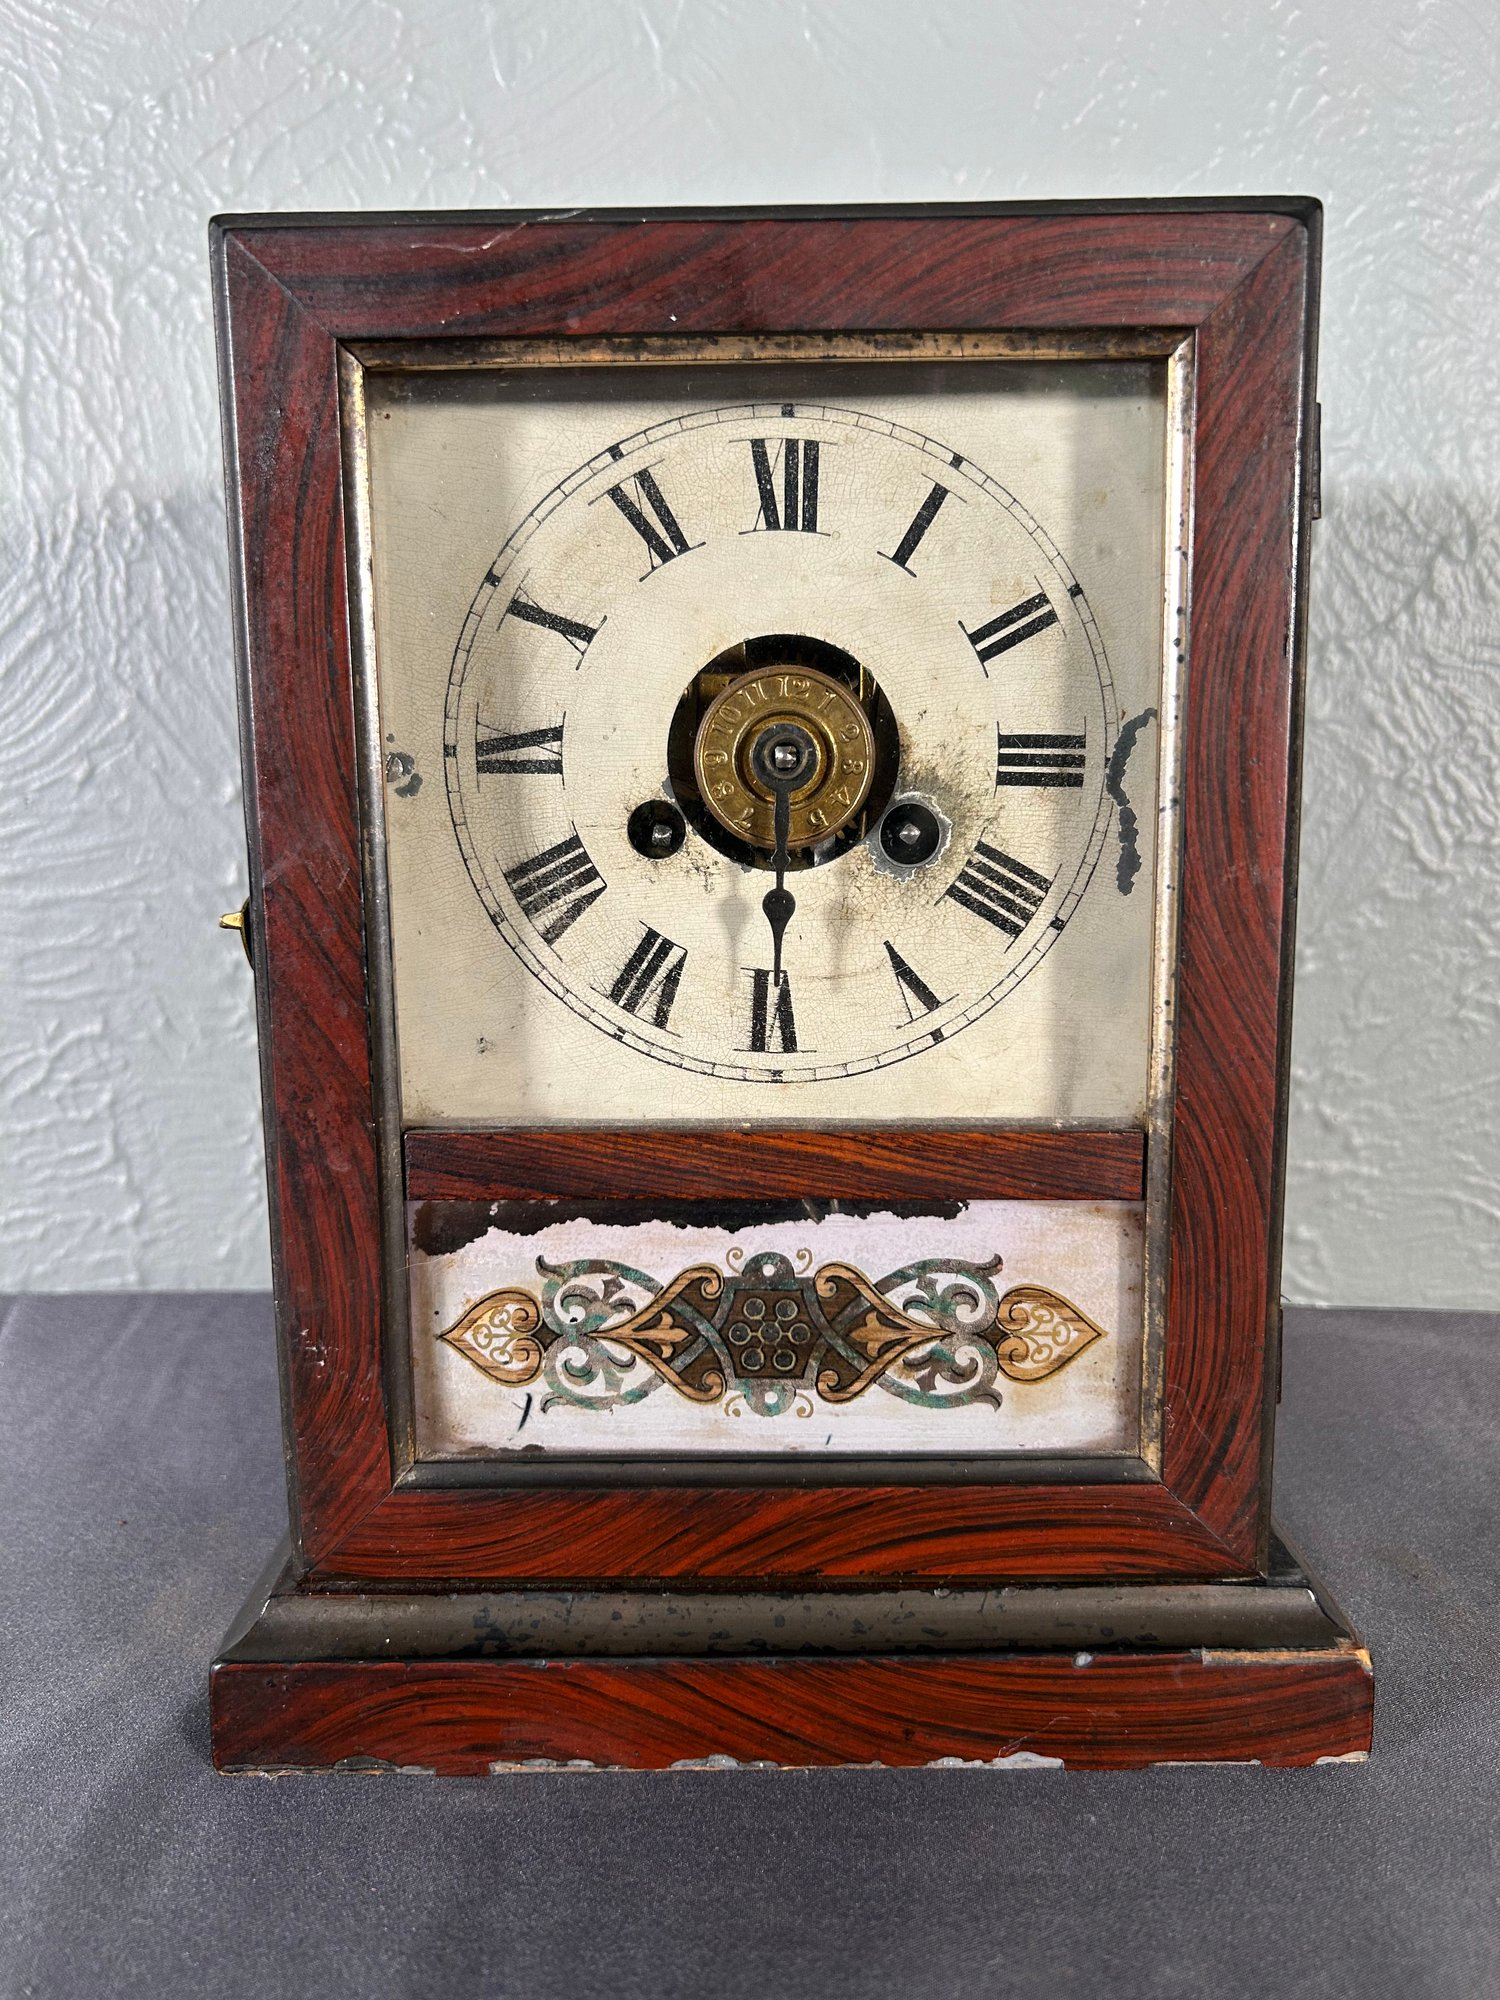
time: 3:29
